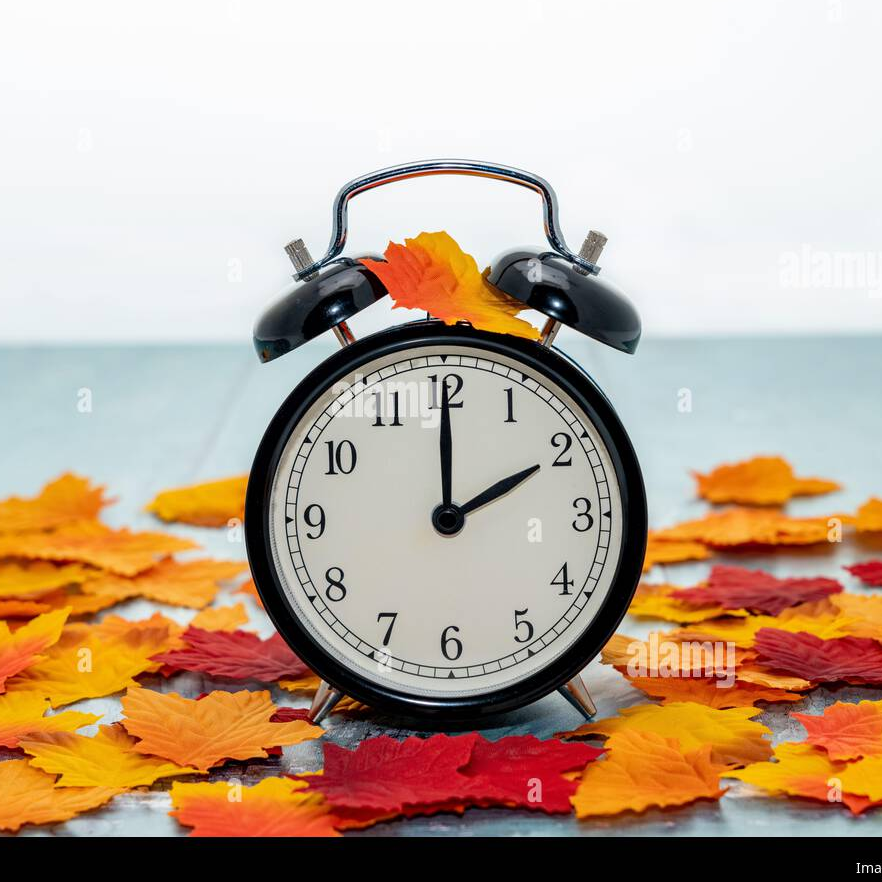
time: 2:00
